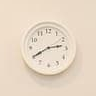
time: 2:40
